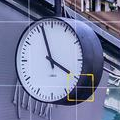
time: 3:56
